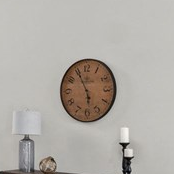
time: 5:55
